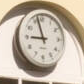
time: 8:57
